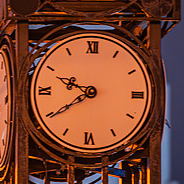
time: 9:39
